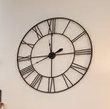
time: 2:00
